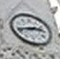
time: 2:42
